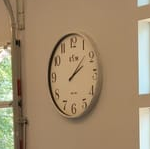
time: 2:07
